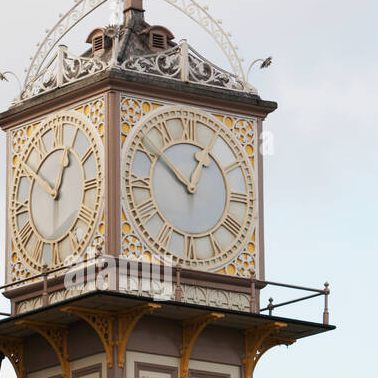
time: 12:51
